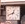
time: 12:41
